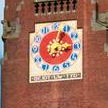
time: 3:02
